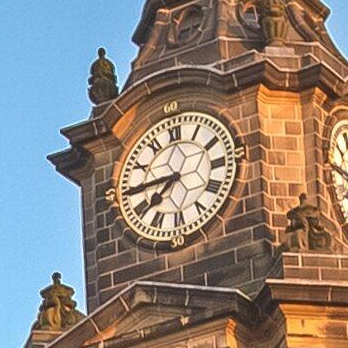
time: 7:44
